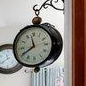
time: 11:40
